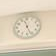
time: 11:26
